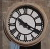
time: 10:19
